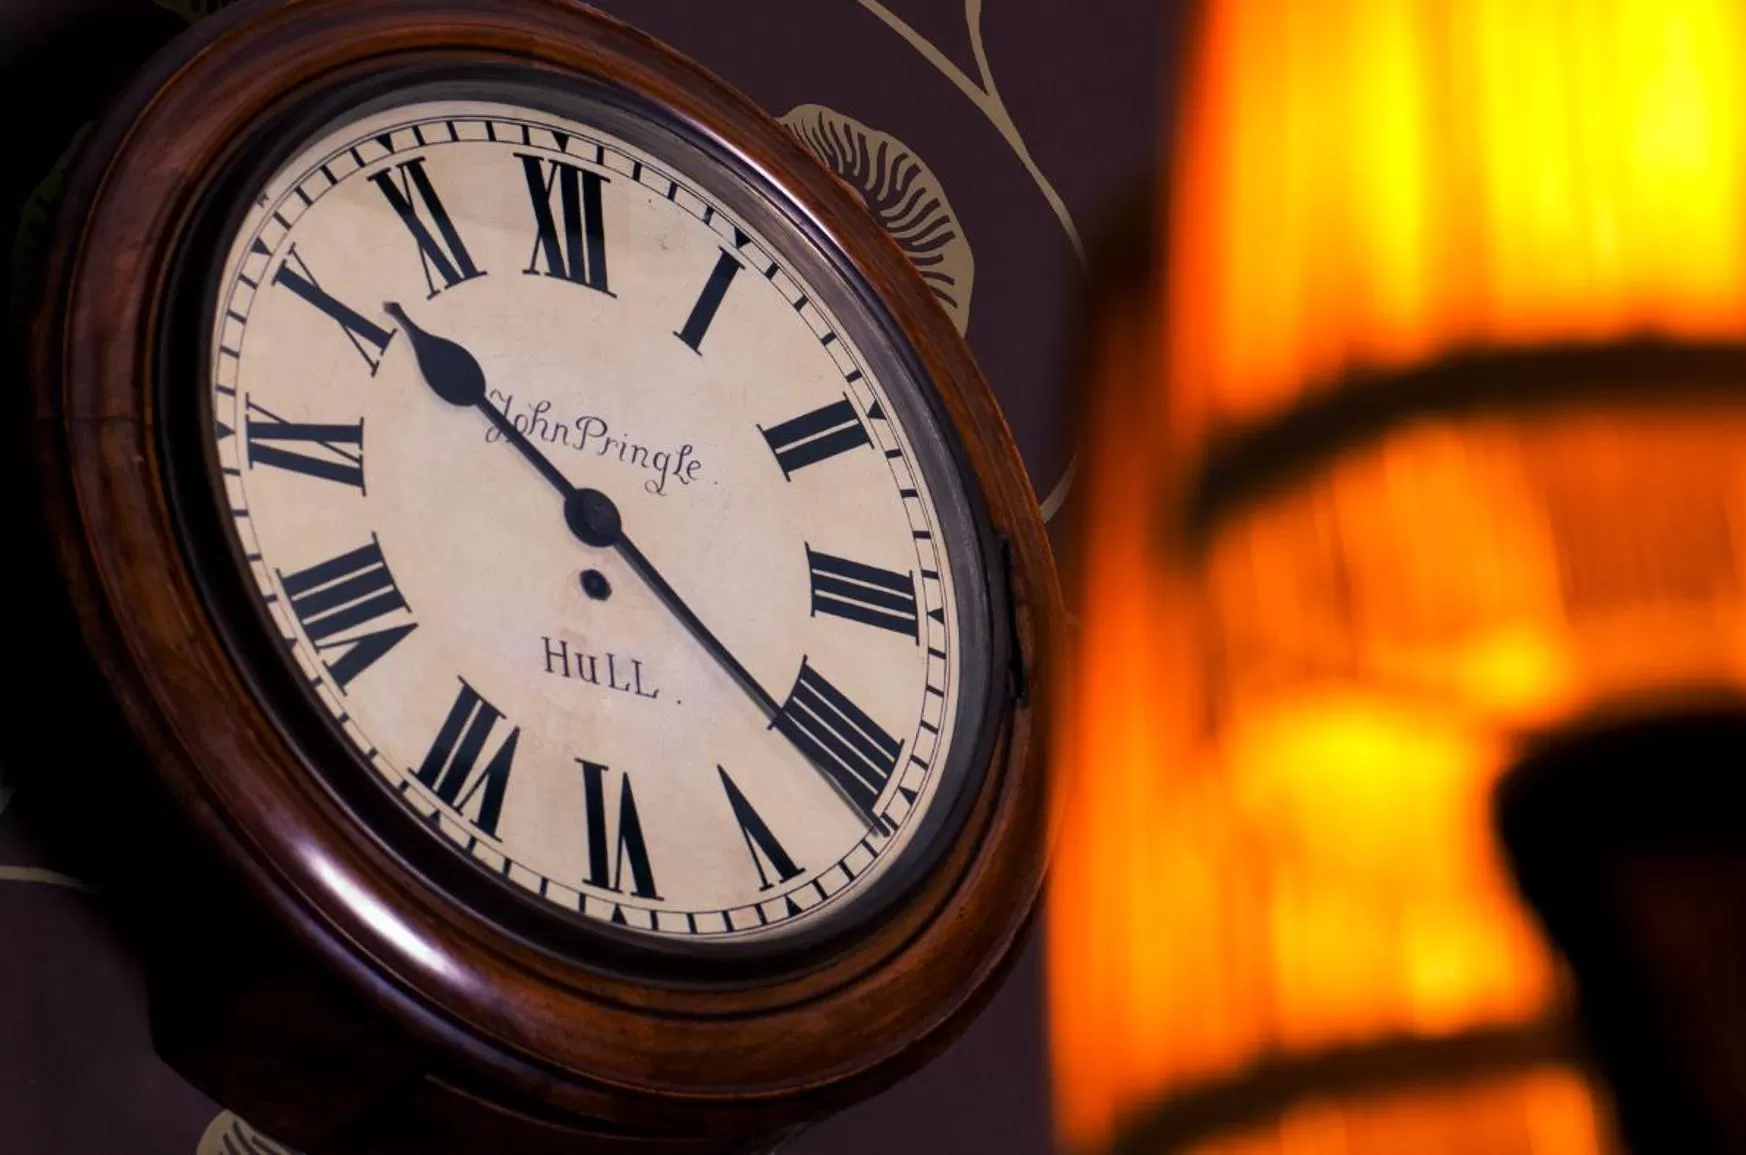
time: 10:21
